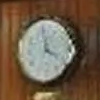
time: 3:58
